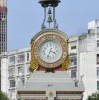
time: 4:33
